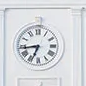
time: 6:43
